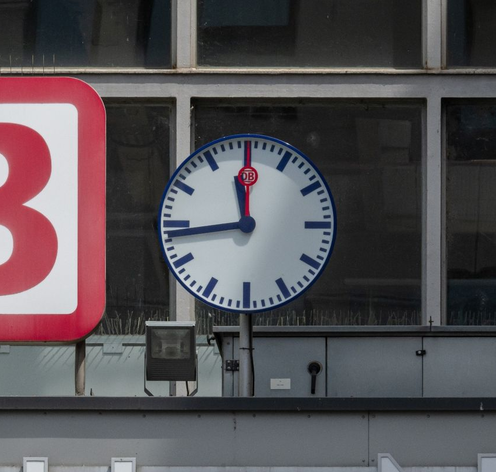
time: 11:43
